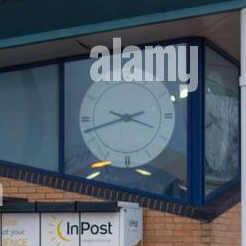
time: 3:42
